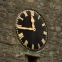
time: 11:44
